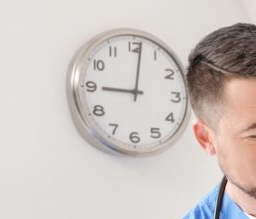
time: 9:01
